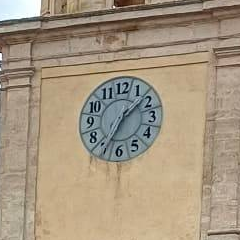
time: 1:34
